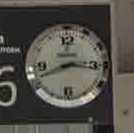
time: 8:16
